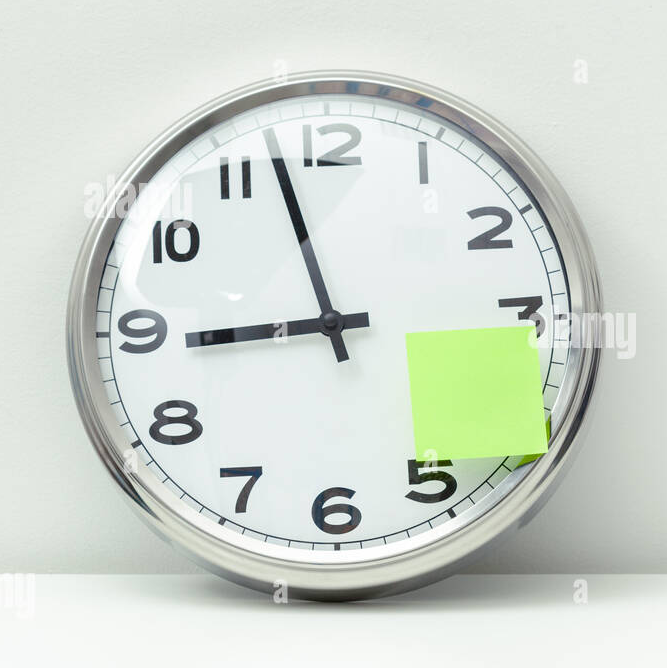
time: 8:57
